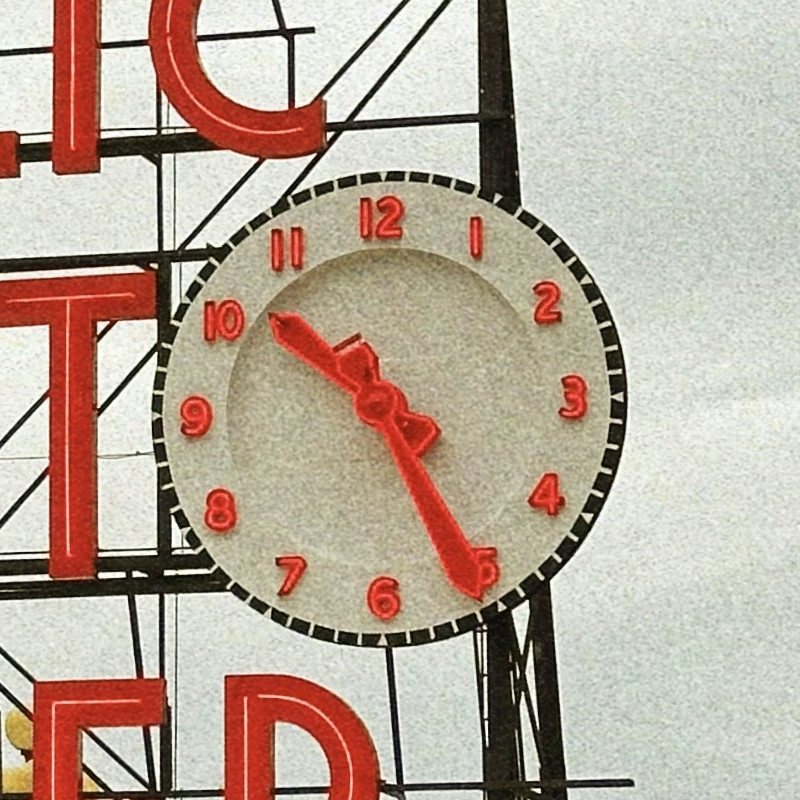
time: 10:25
